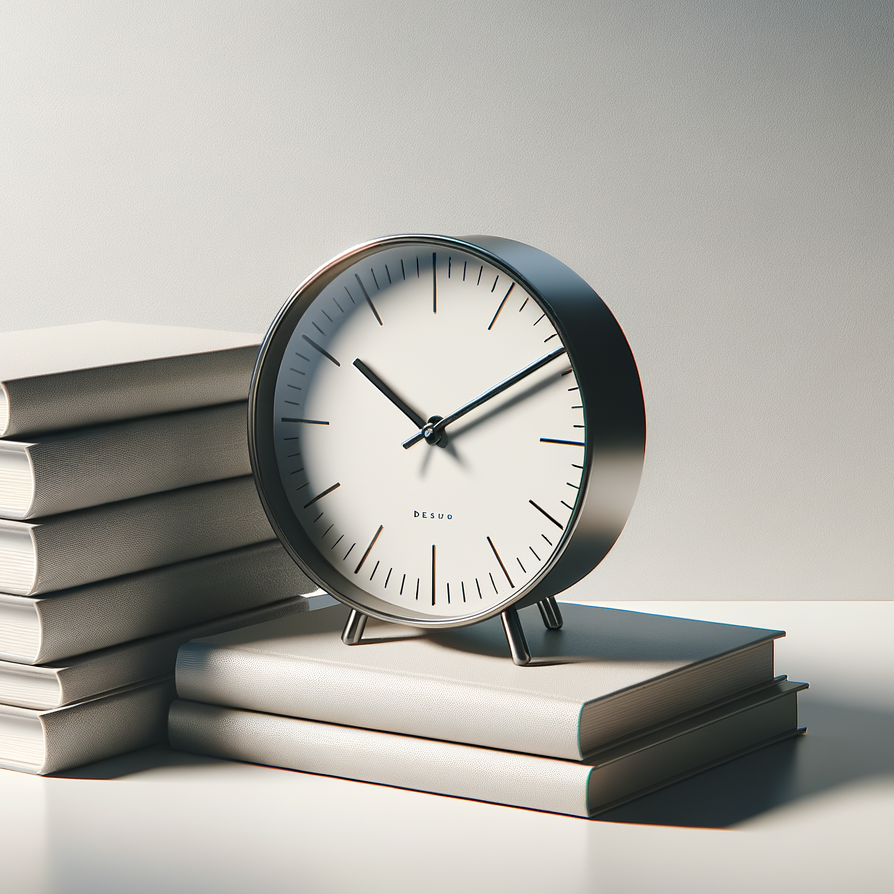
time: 10:09
